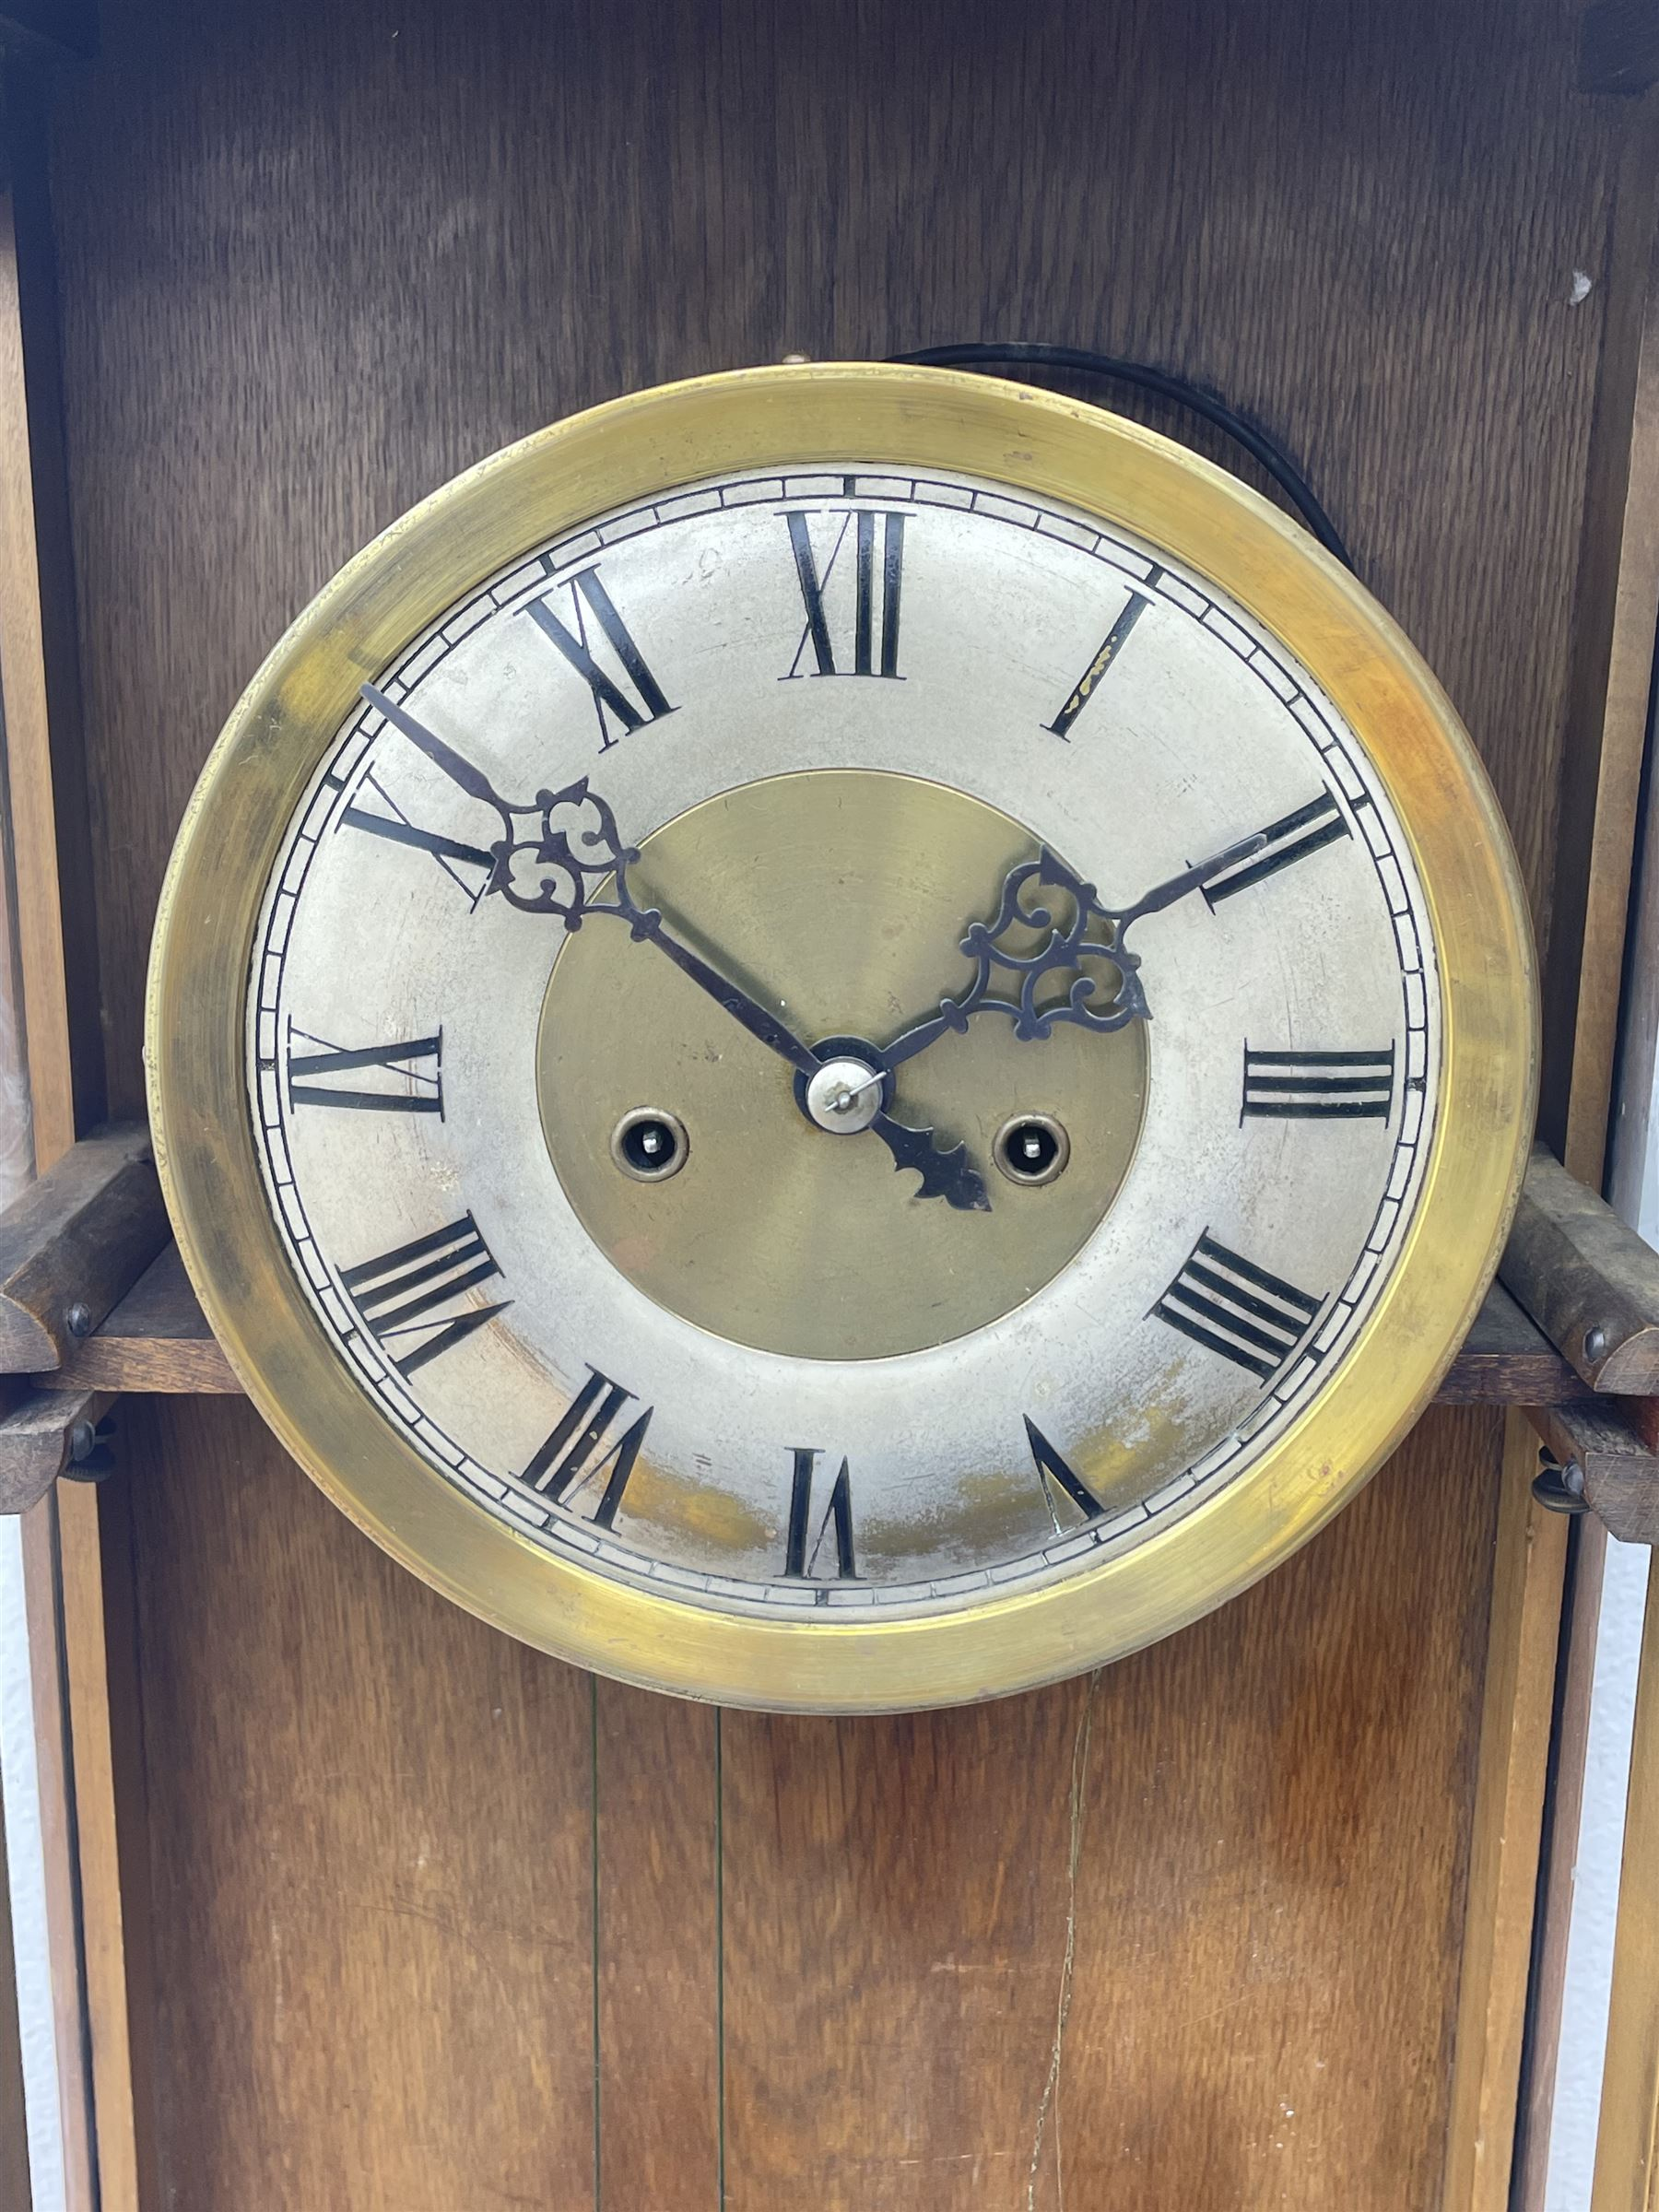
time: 1:51
